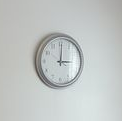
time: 3:00
